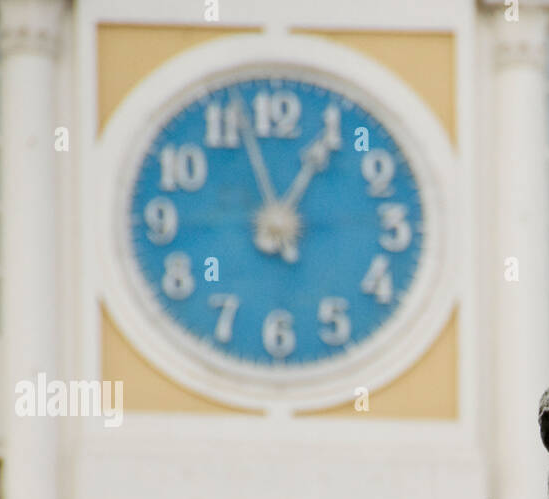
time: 12:57
